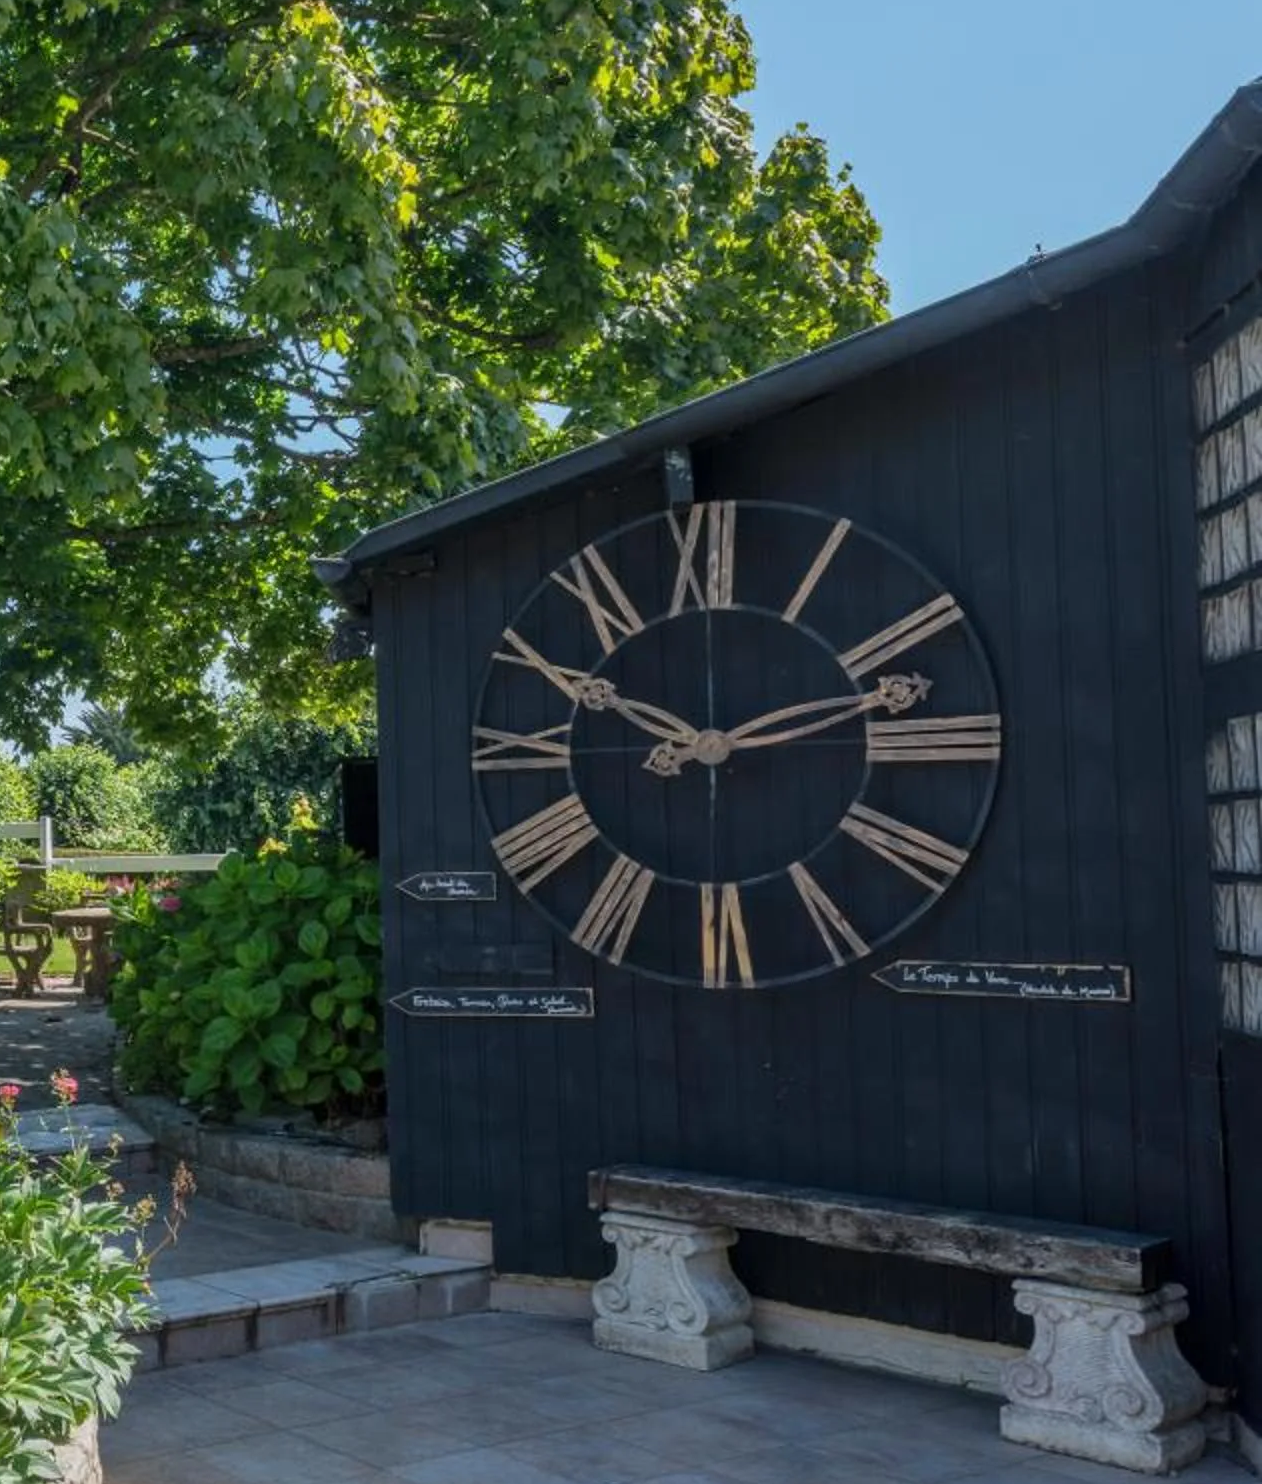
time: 10:12
